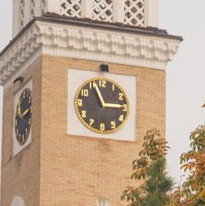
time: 11:14
